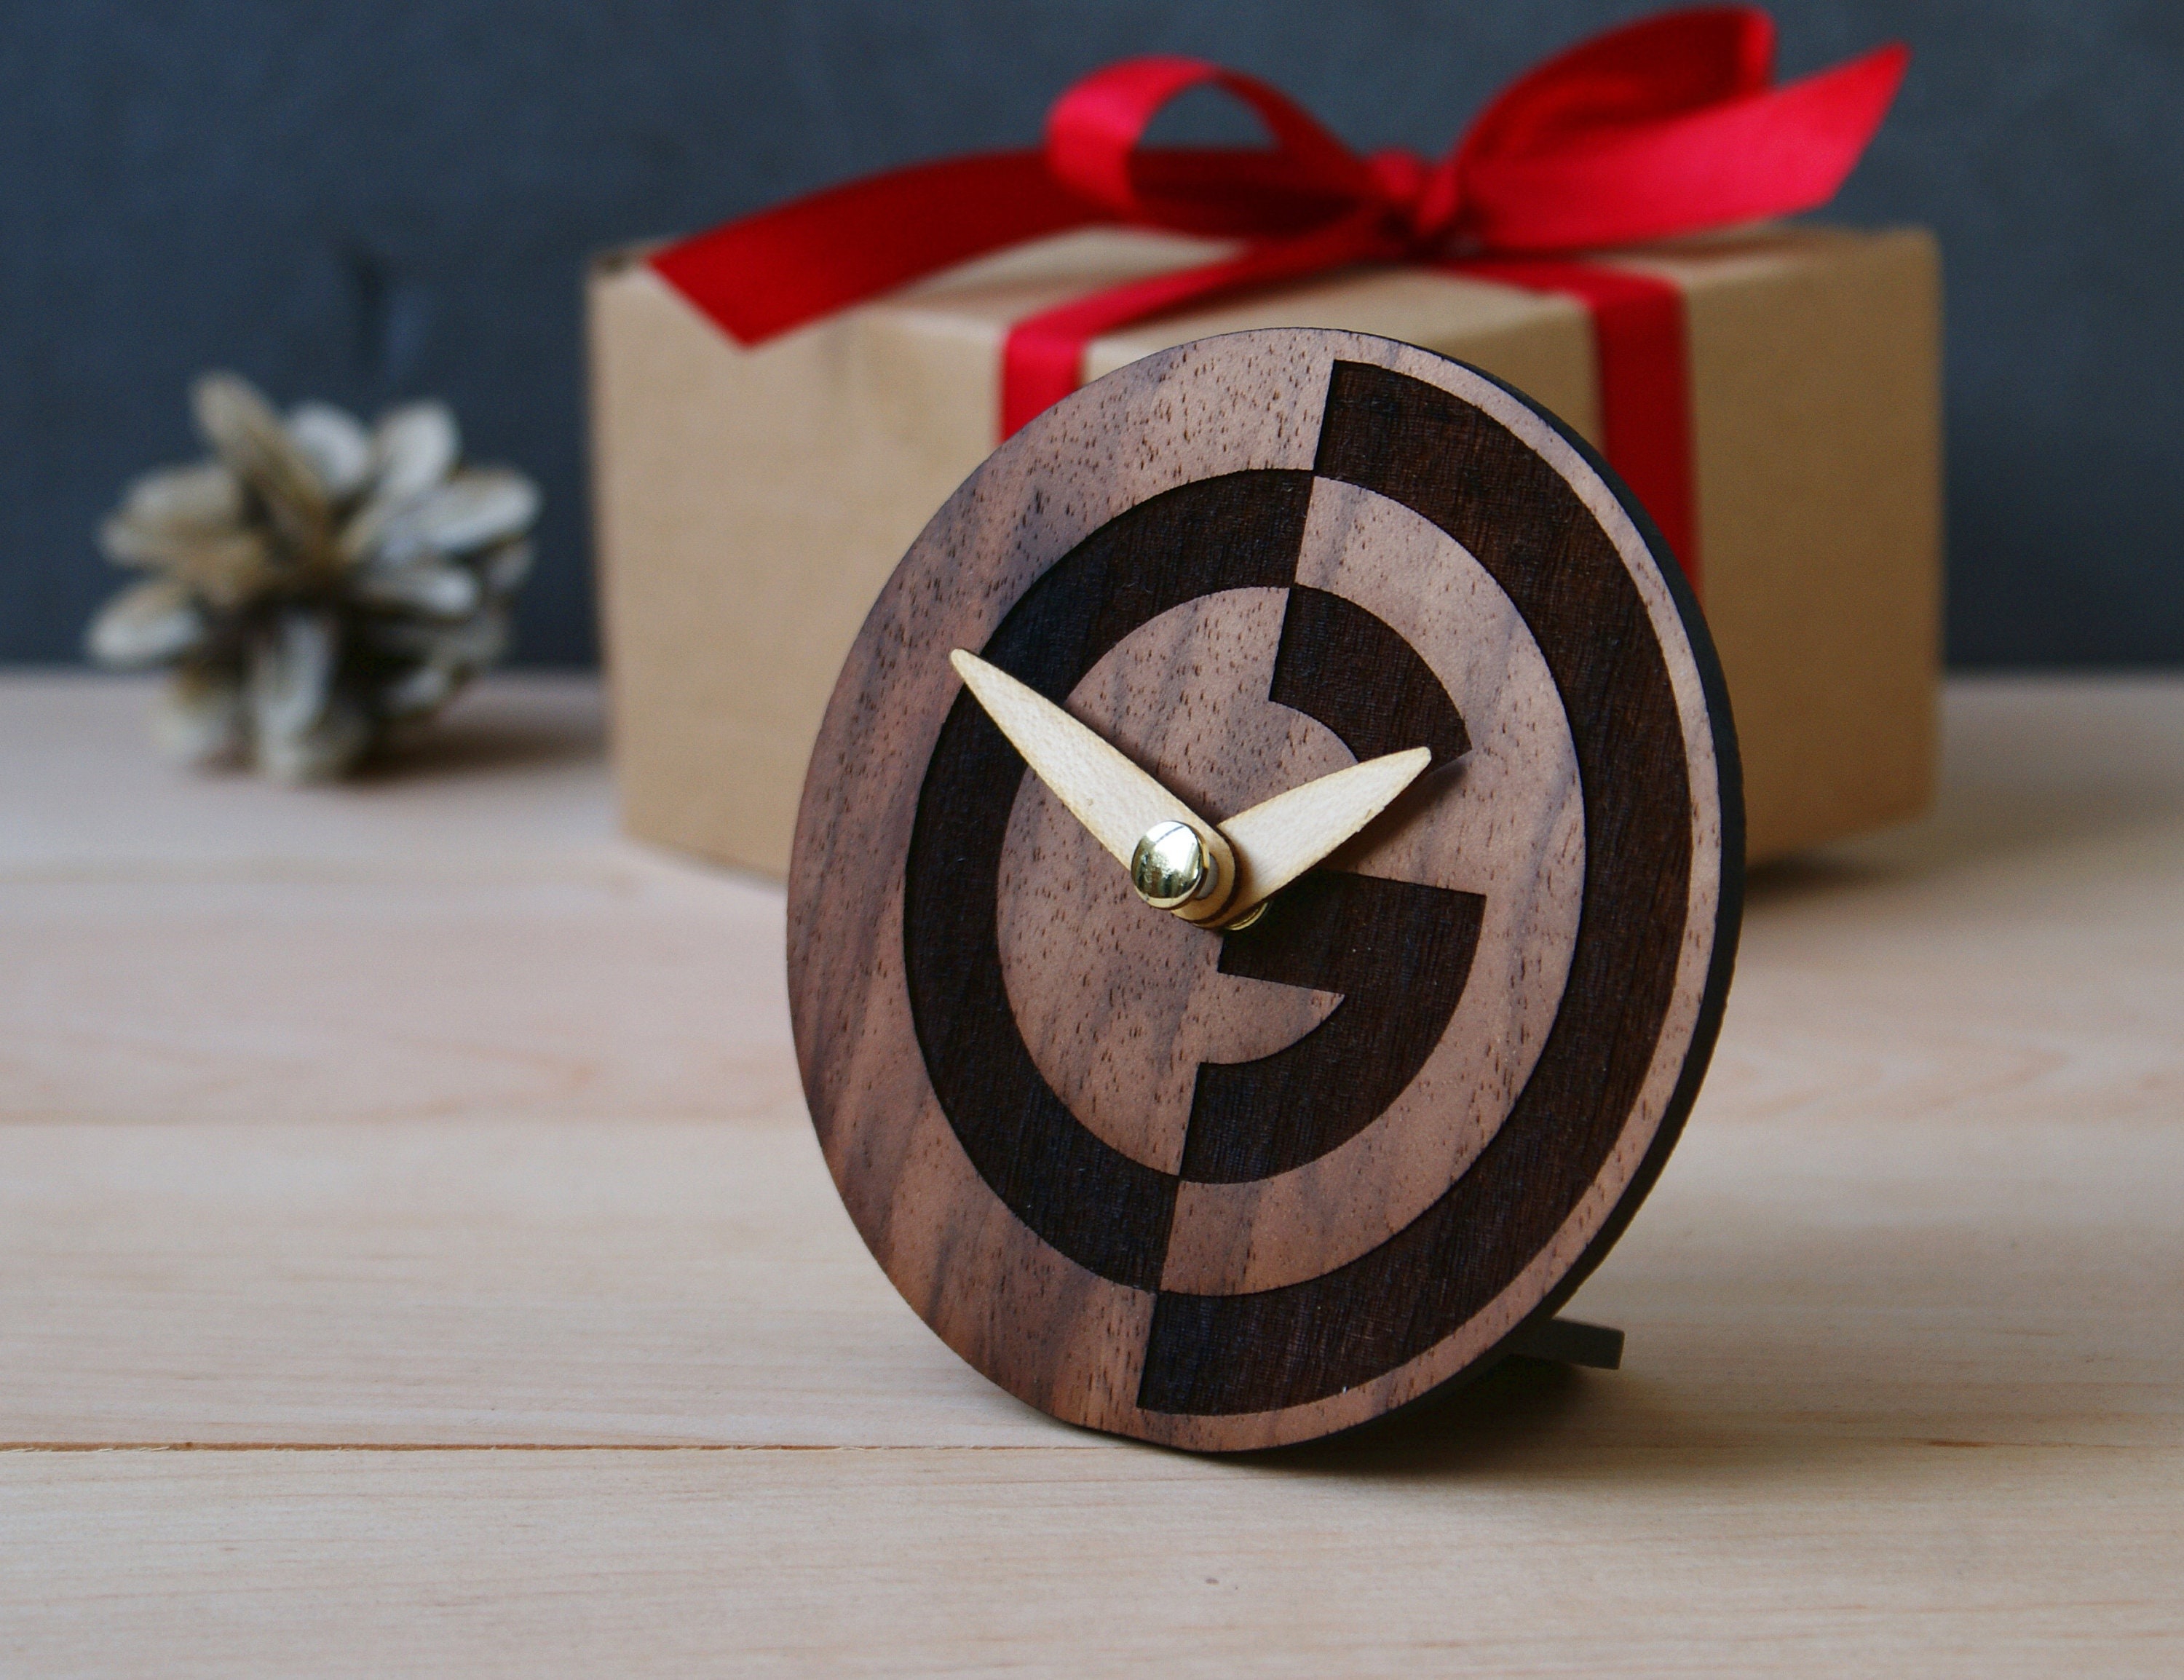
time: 1:50
